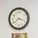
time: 3:38
